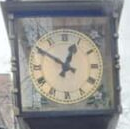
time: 12:50
